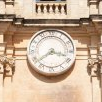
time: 3:38
